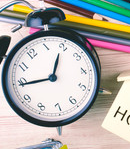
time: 12:44
